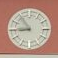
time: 8:53
